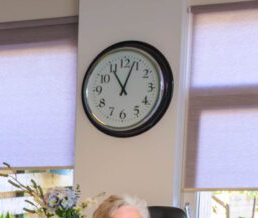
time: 11:03
